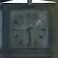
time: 1:28
